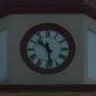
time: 10:28
